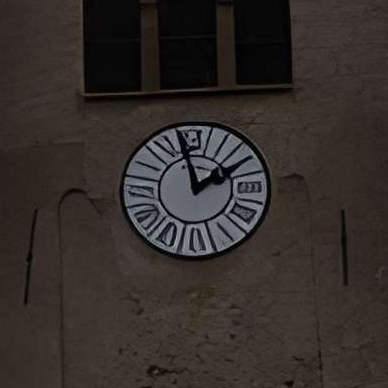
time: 1:58
